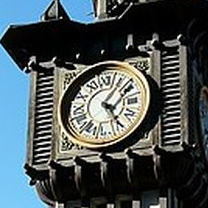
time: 1:24
